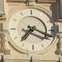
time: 7:18
